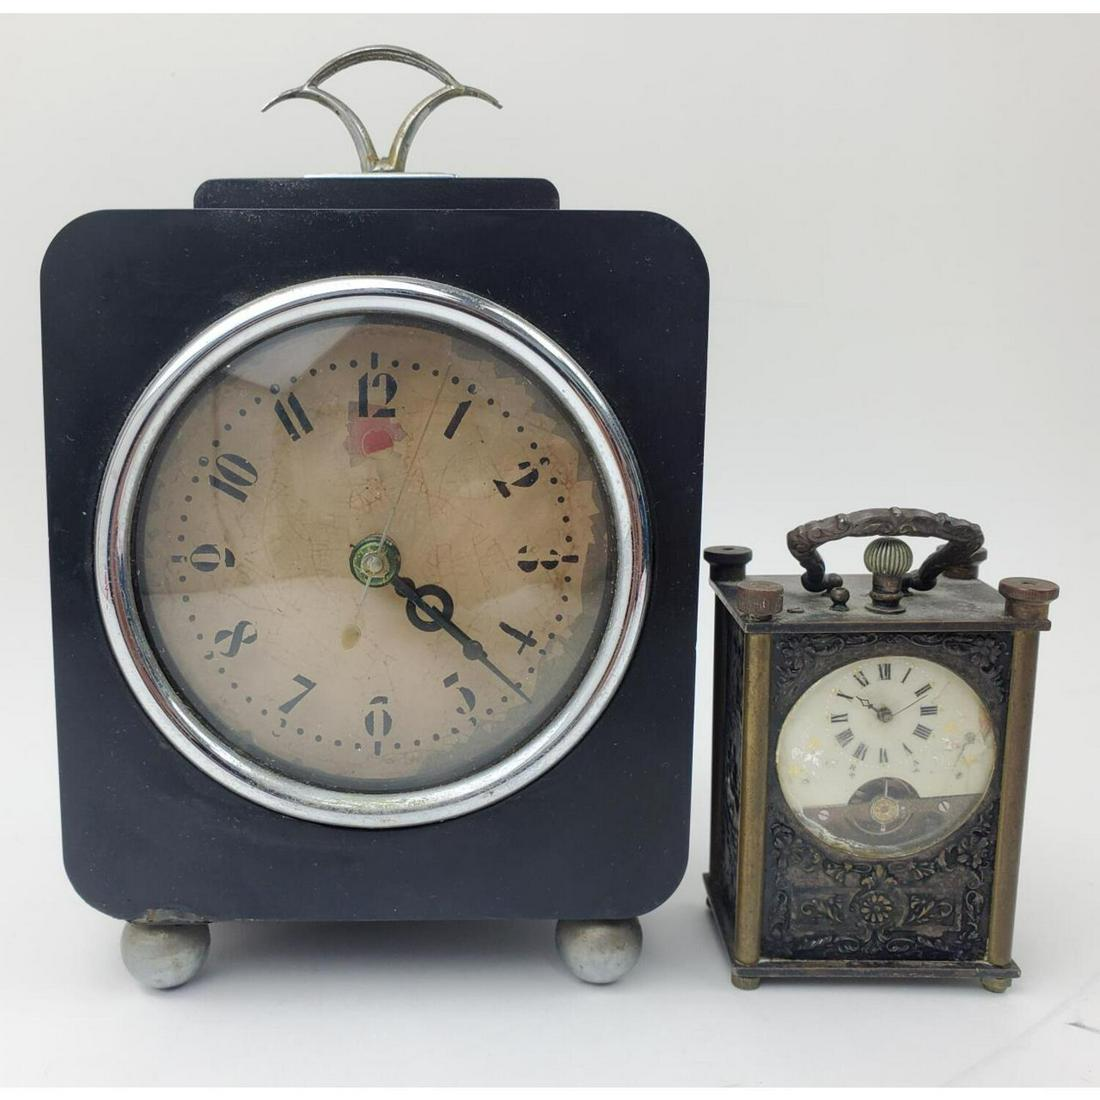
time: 4:21
